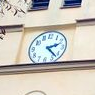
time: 2:22
